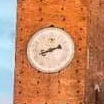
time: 8:11
